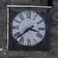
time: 3:38
